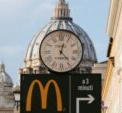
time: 12:23
